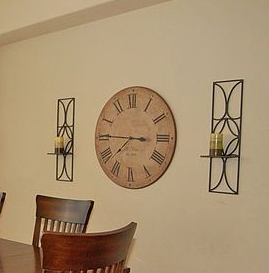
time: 7:45
